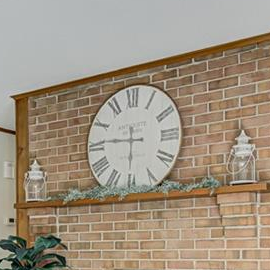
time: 5:45
